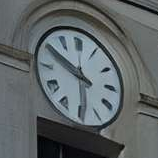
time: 5:49
